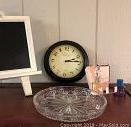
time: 2:14
